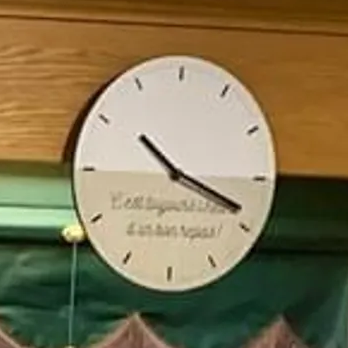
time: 10:18
